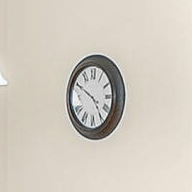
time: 4:49
